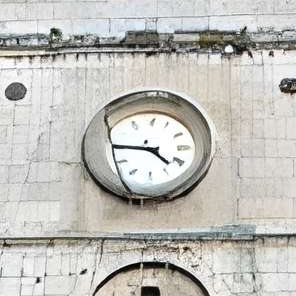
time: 4:44
